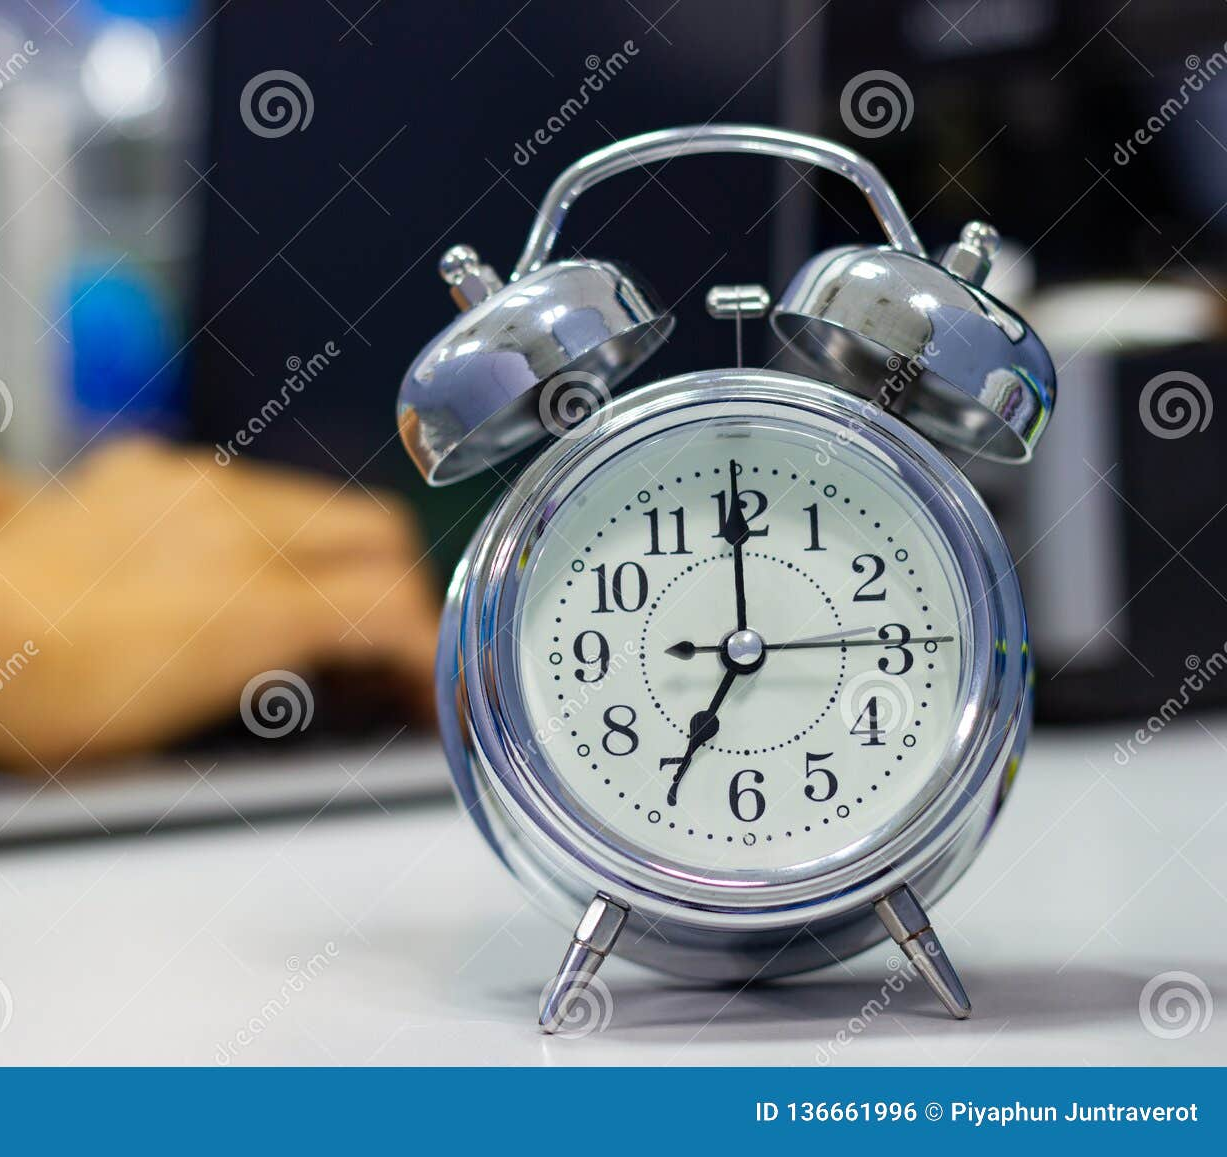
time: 7:00
